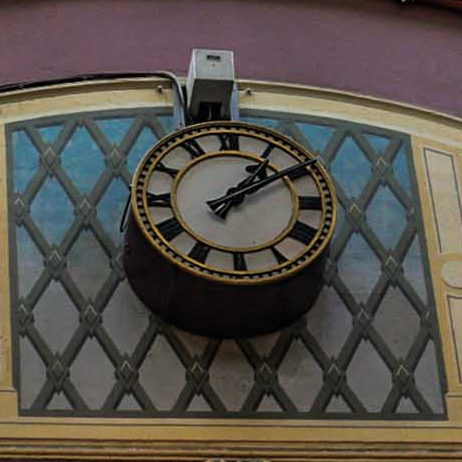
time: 1:09
